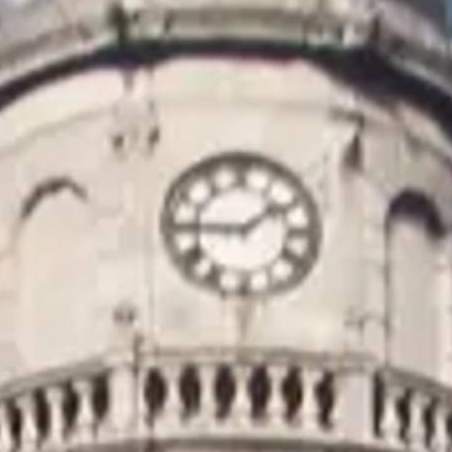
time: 1:45
